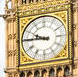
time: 9:45
